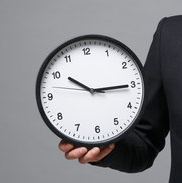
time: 10:15
